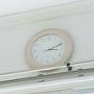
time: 3:11
